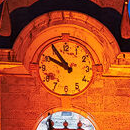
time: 9:54
